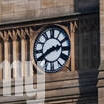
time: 2:40
